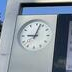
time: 9:02
